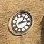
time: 1:13
